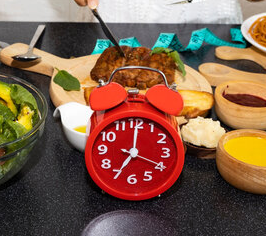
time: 7:00
